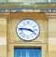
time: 3:46
